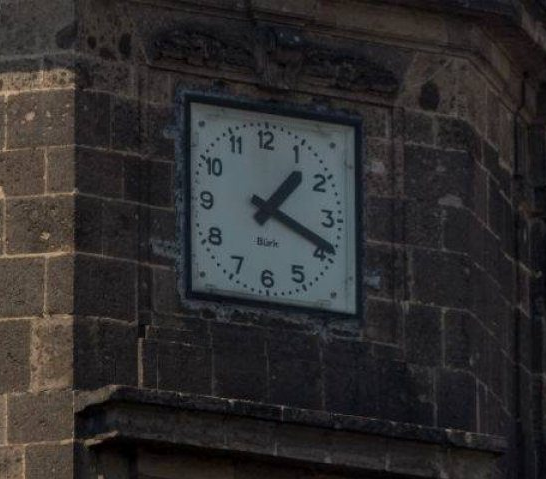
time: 1:18
